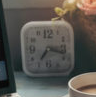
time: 7:17
